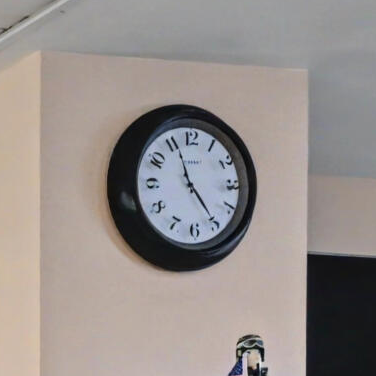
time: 4:56
